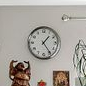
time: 1:24
